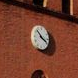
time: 3:52
